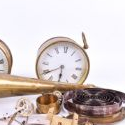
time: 5:39
